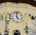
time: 4:59
